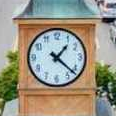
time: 1:21
